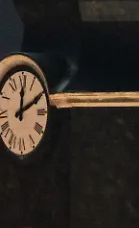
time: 12:10
